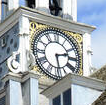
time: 2:28
